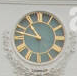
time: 10:47
